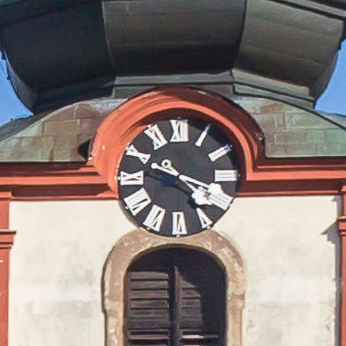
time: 3:48
